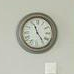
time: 11:23
